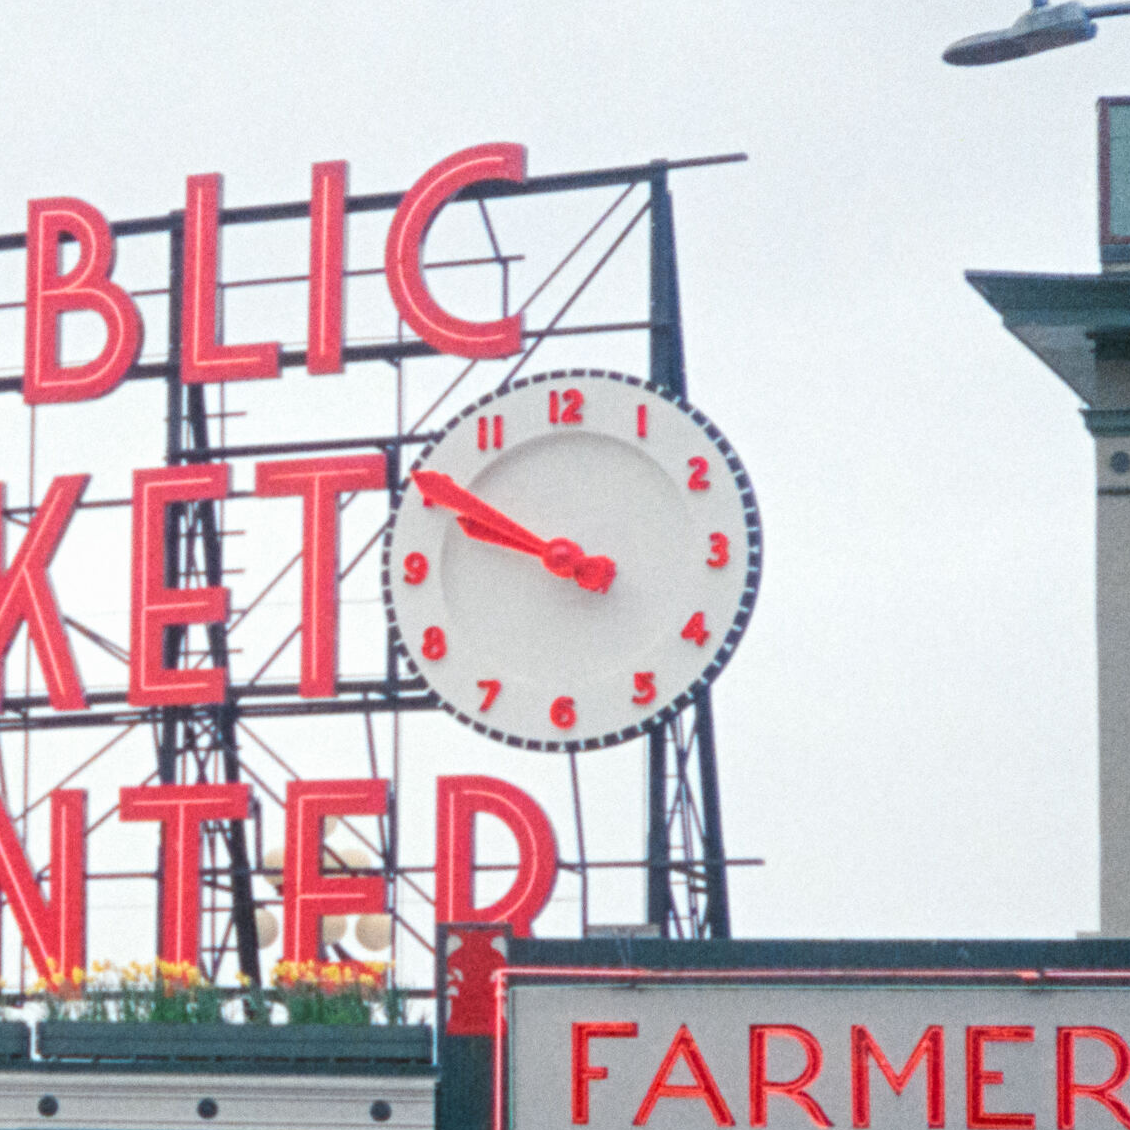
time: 9:50
